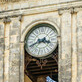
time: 3:40
